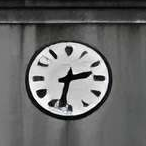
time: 2:32
